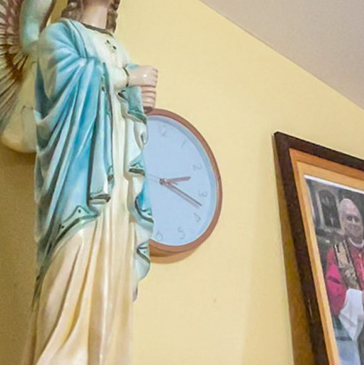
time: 2:17
